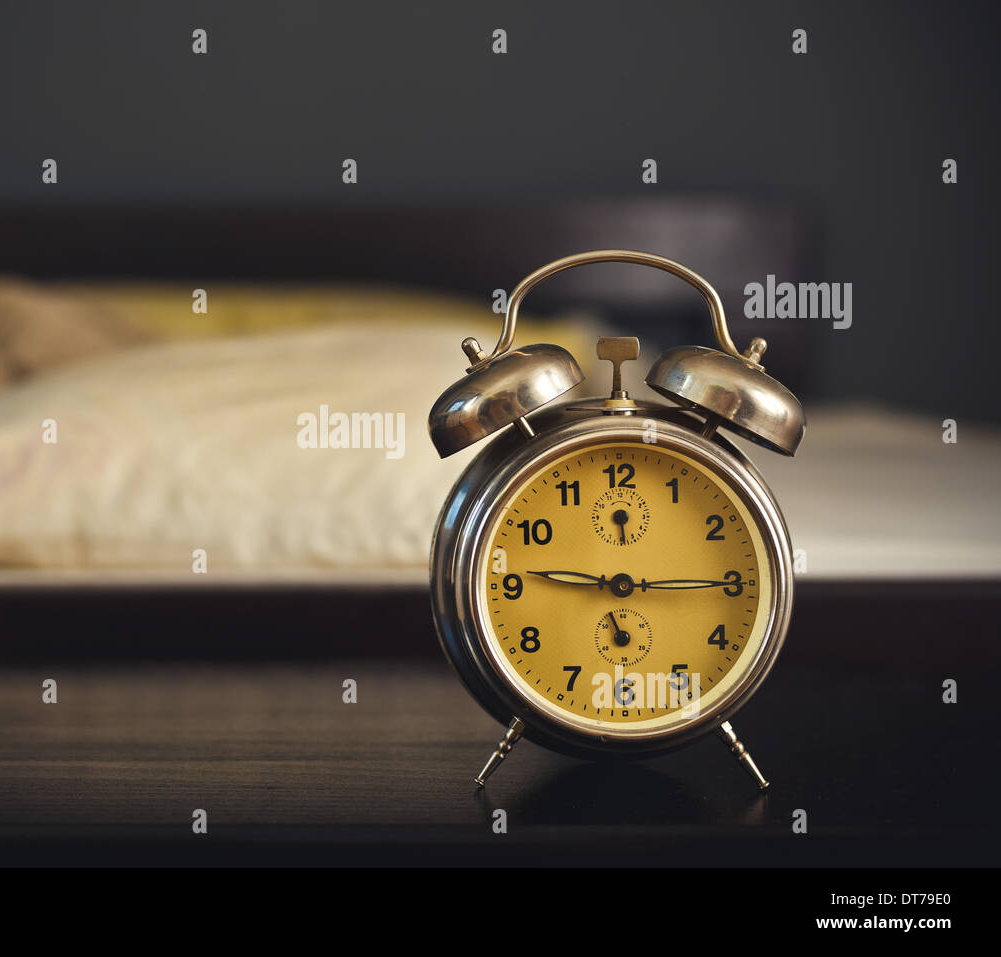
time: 9:15
